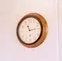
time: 11:13
